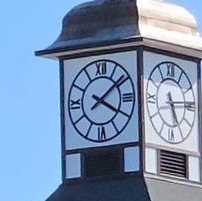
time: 4:08
